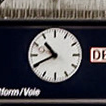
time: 10:40
